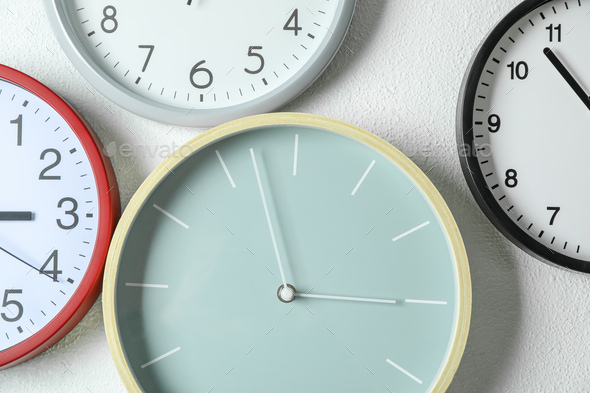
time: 2:57
